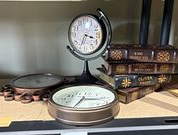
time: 3:34
